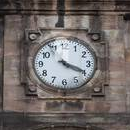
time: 4:19
